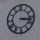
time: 3:16
